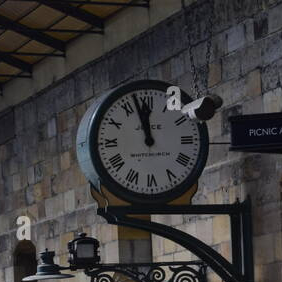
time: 11:57
